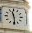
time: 11:29
